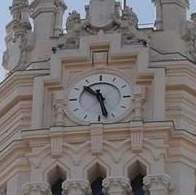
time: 10:28
